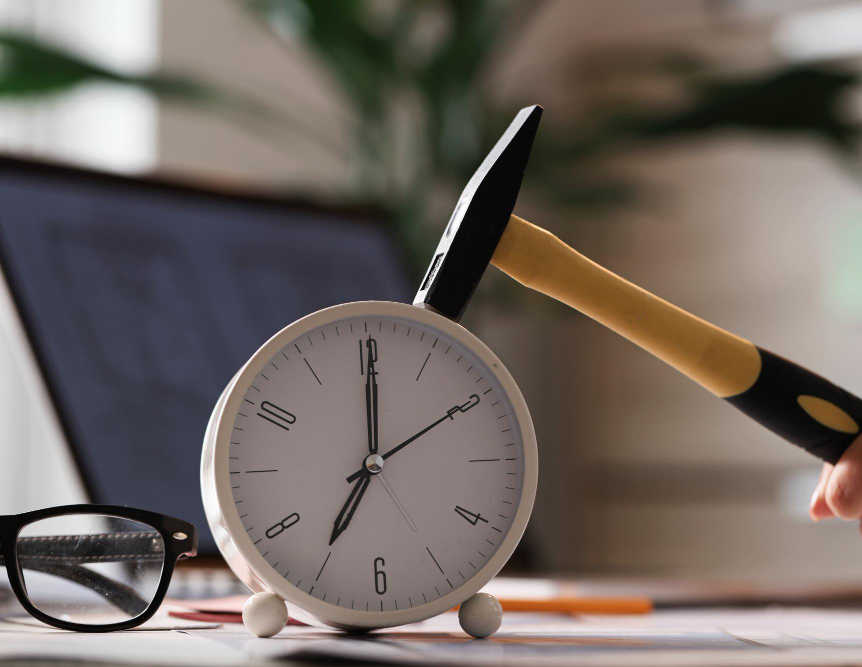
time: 7:00
